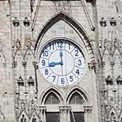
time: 9:00
